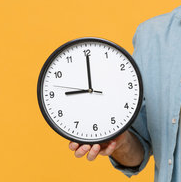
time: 8:59
